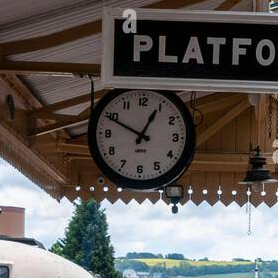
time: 12:49
